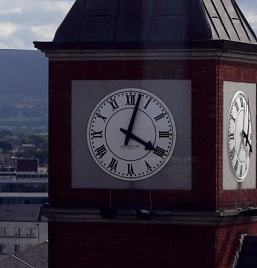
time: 4:02
